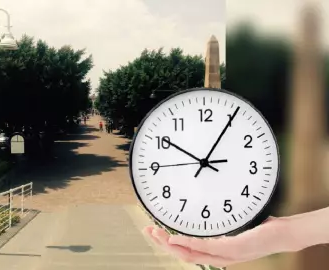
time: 10:05
